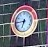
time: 6:44
